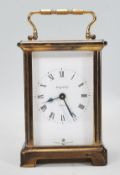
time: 8:24
